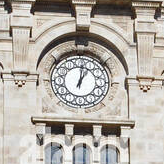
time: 1:01
